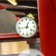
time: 12:43
